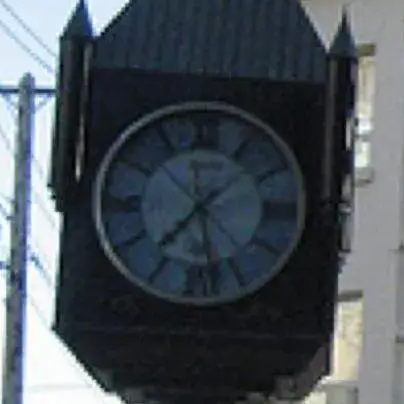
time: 7:28
